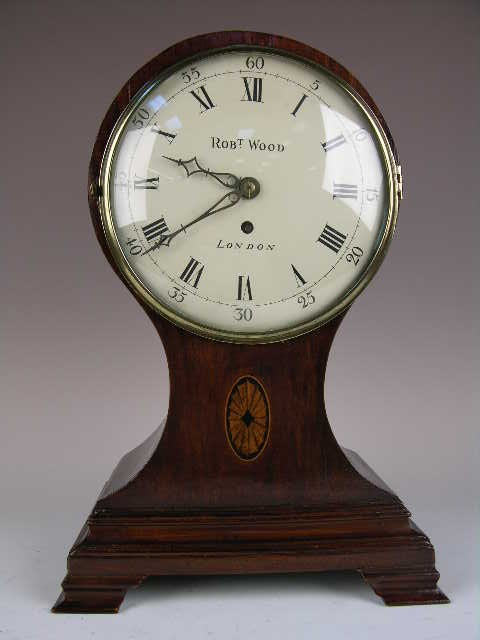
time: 9:38
